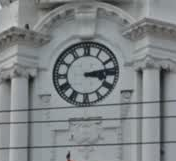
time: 3:13
